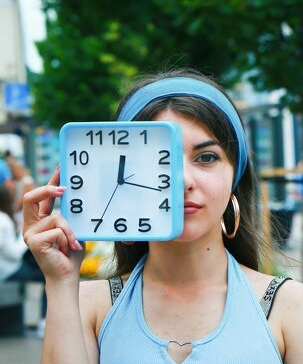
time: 12:16
